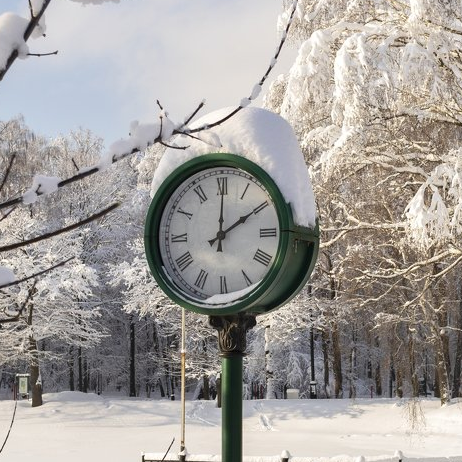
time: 2:00
